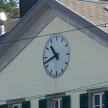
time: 10:42
